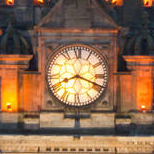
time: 8:18
